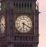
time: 6:19
